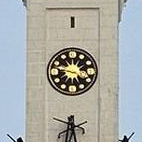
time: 3:47
